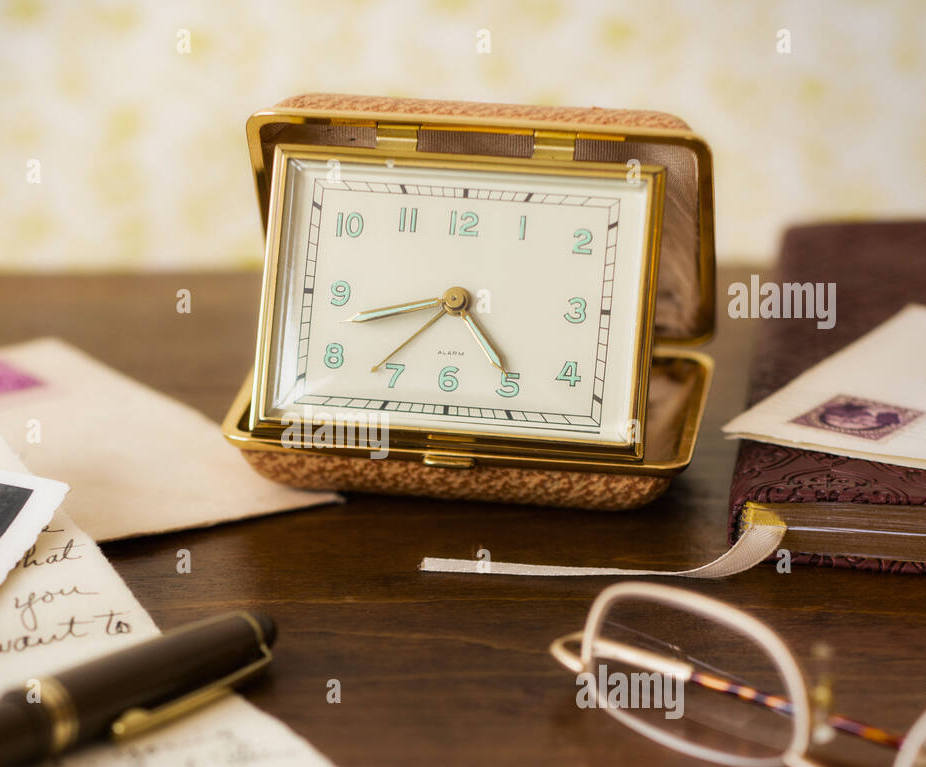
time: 4:42
